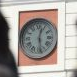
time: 12:28
